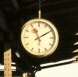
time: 11:09
